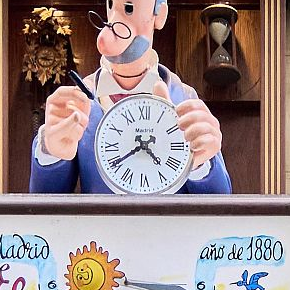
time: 4:39
